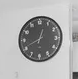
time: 12:41
